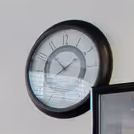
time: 1:52
